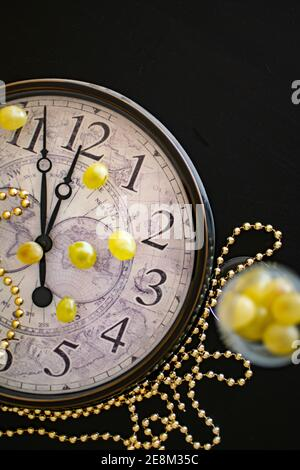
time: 11:56
